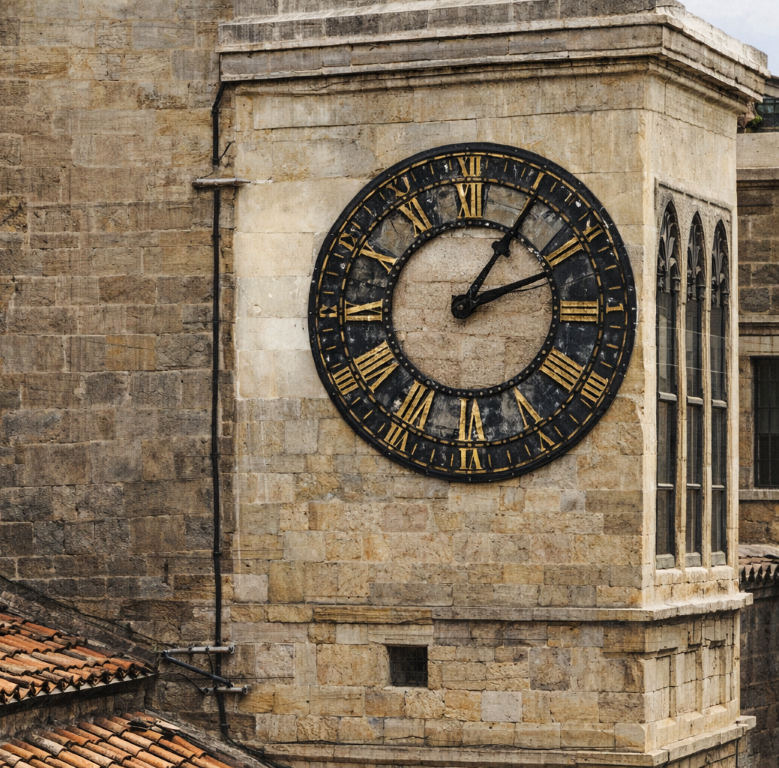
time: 2:05
